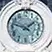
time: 1:47
